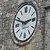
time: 2:48
